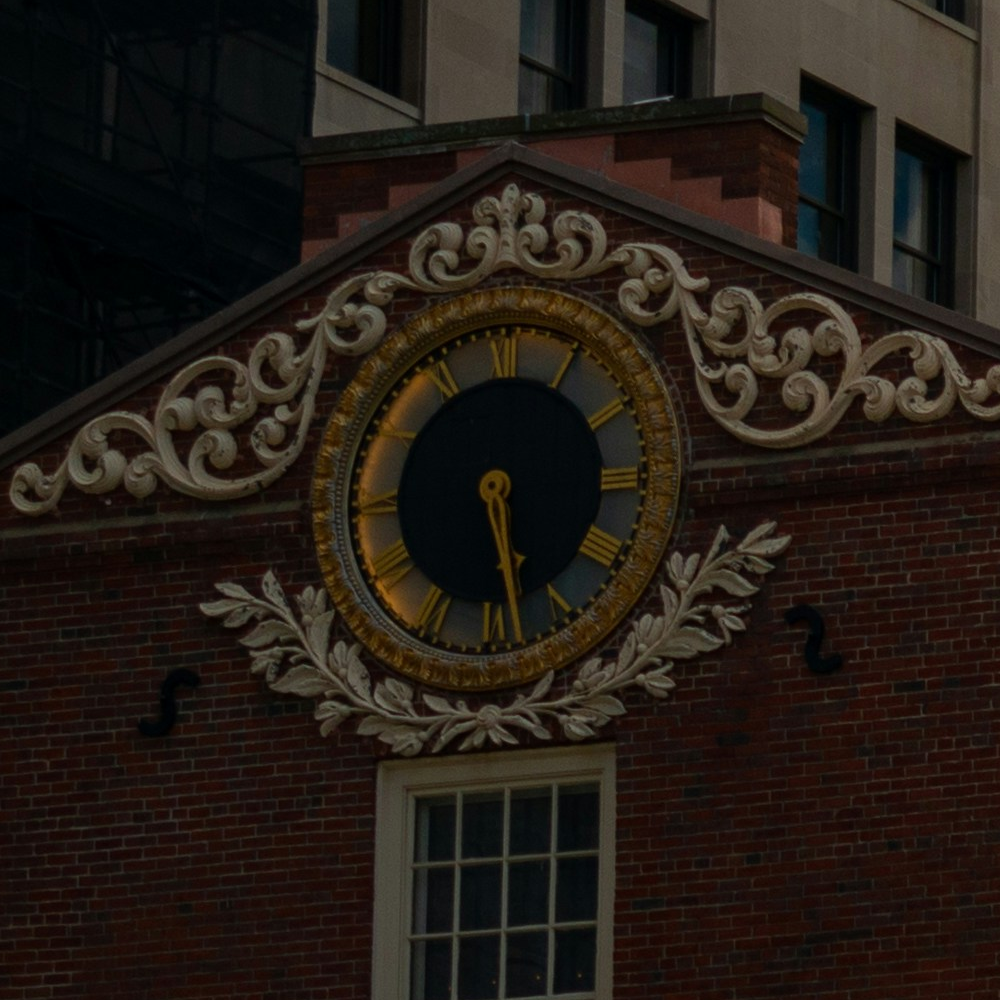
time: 5:28
